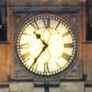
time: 10:36
